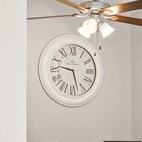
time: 9:27
